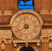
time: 7:57
